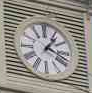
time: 1:18
